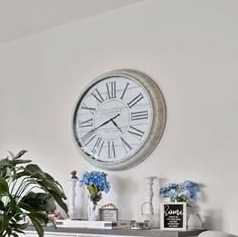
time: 4:41
